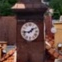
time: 1:43
